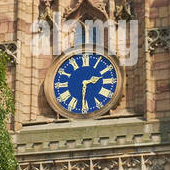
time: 2:30
